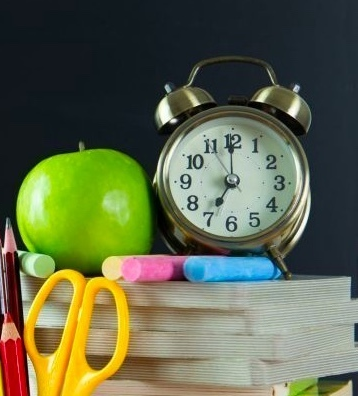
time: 7:00
